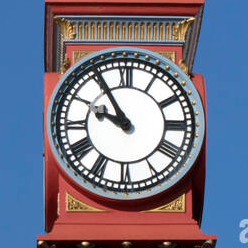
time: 9:54
